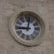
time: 9:01
